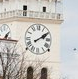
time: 2:09
